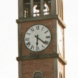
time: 6:21
